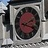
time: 2:18
